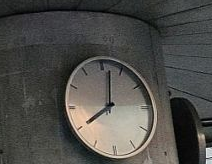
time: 8:01
